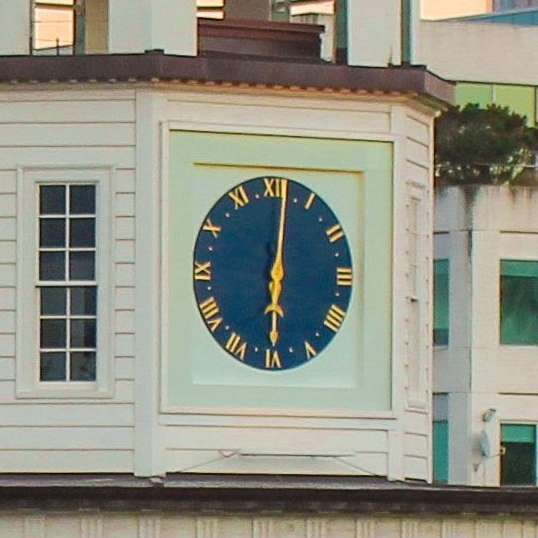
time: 6:01
